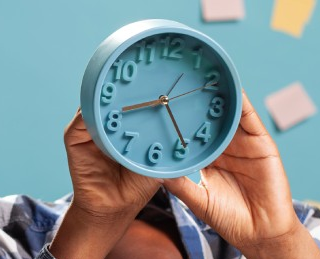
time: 8:23
